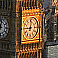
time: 9:01
